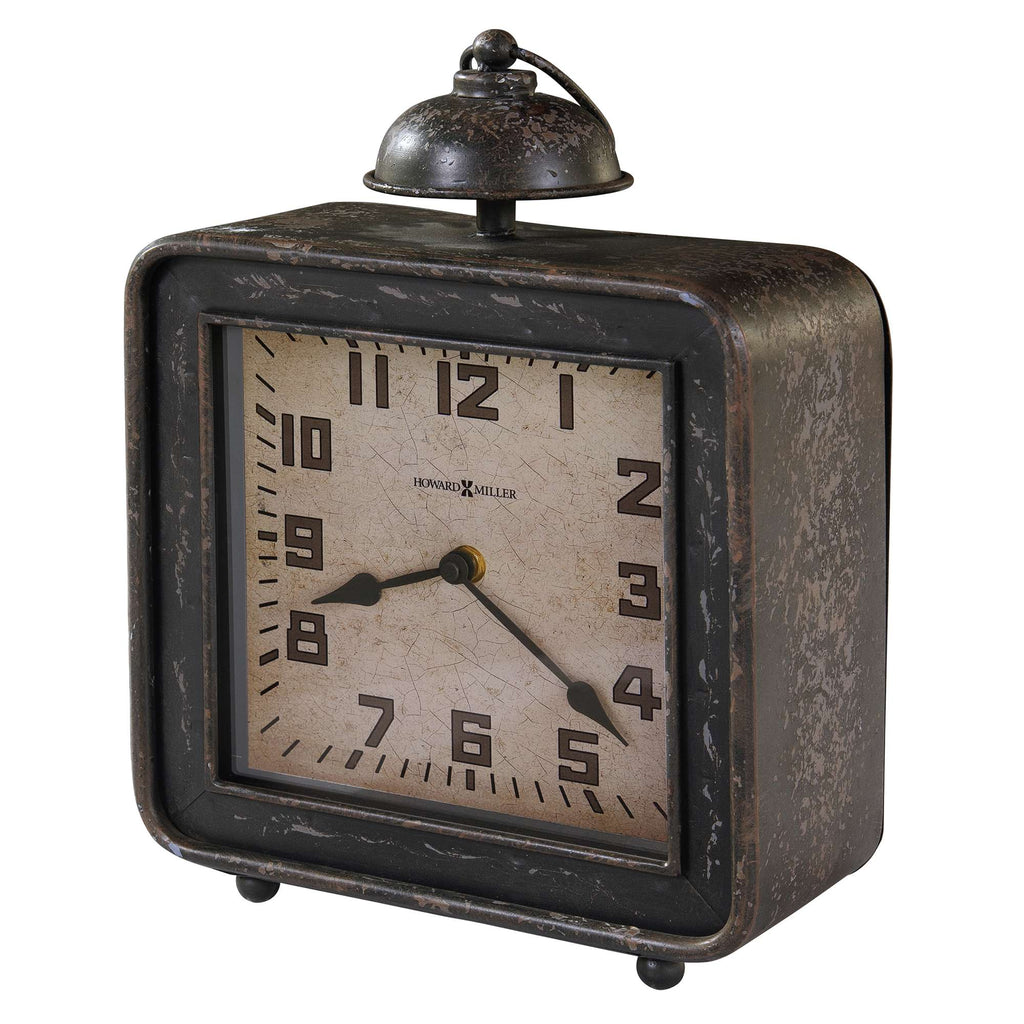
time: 8:21
